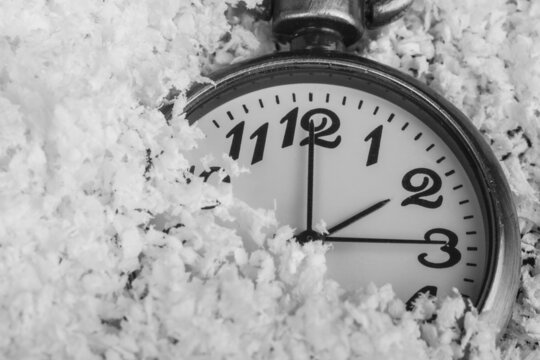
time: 2:00
